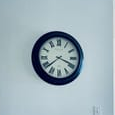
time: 3:38
